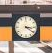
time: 3:20
